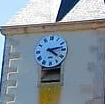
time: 4:12
